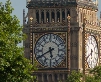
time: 5:40
